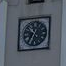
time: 10:34
